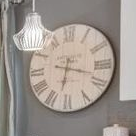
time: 6:17
